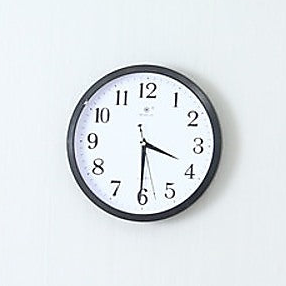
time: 3:30
